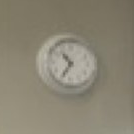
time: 10:35
